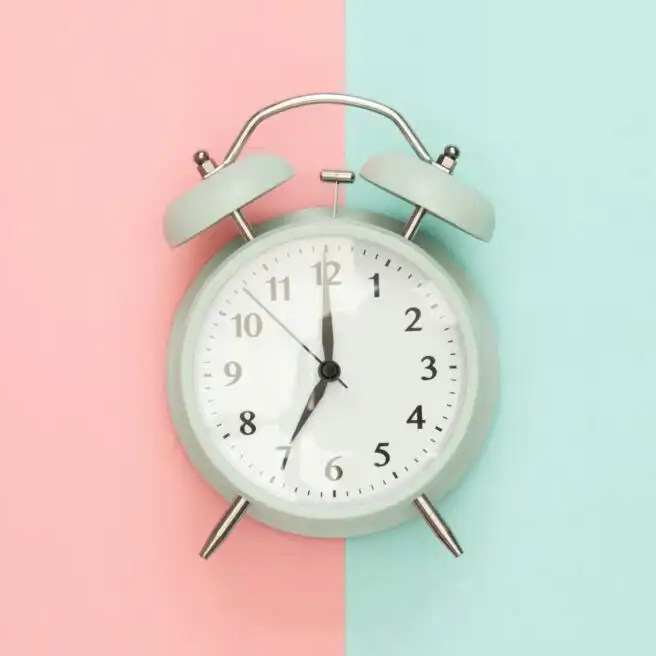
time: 7:00
